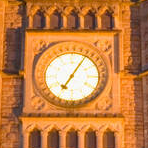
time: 7:05
